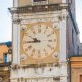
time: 9:44
